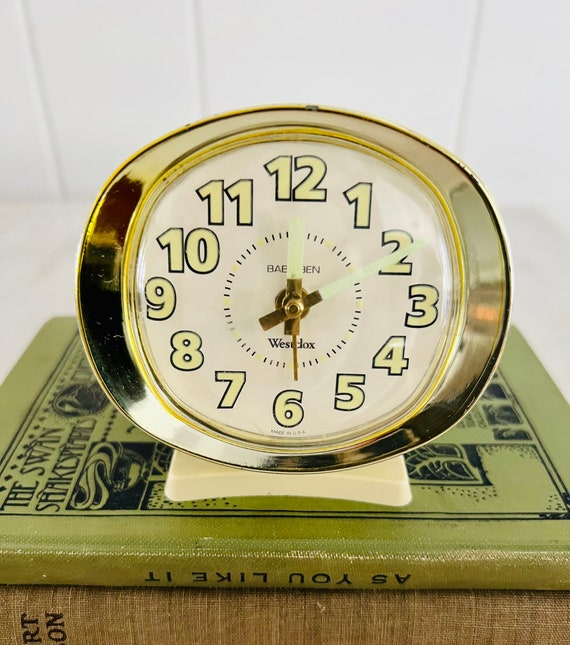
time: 7:29
